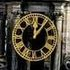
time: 12:06
